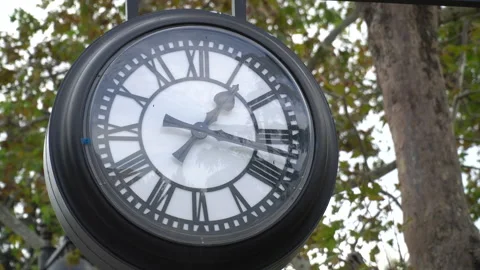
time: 1:17
